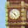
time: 4:52
